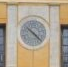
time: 10:22
